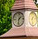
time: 1:32
